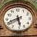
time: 5:41
